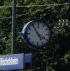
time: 4:54
